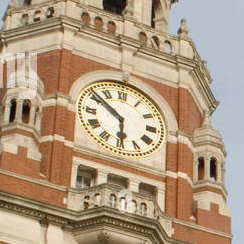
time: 5:51
